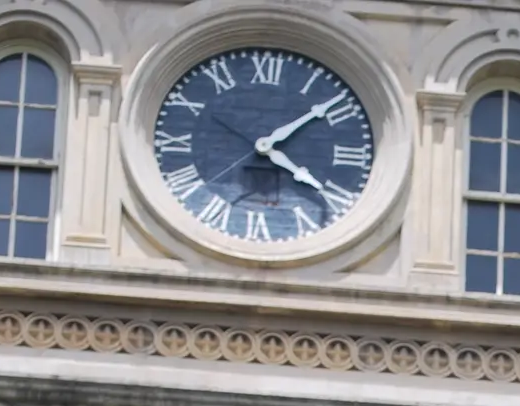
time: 4:08
